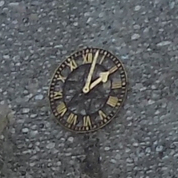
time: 2:02
